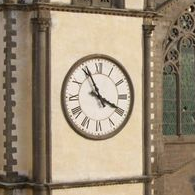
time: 3:55
